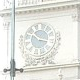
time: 10:17
